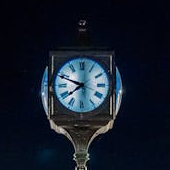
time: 7:48
